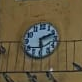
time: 2:29
